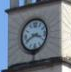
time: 3:40
